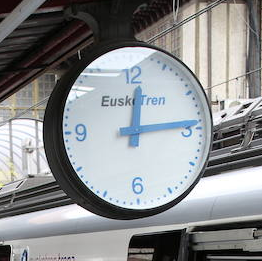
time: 12:14
